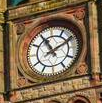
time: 11:10
